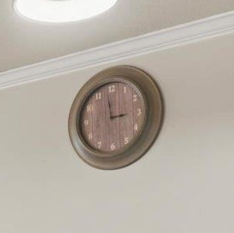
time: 2:58
